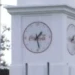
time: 1:28
